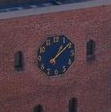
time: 1:08
